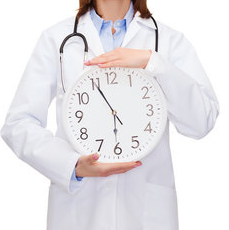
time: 5:55
